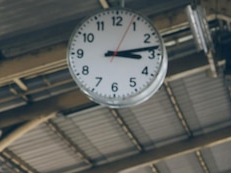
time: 3:13
